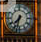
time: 7:32
